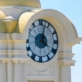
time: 4:02
